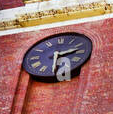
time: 2:29
